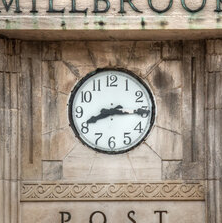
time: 8:15
